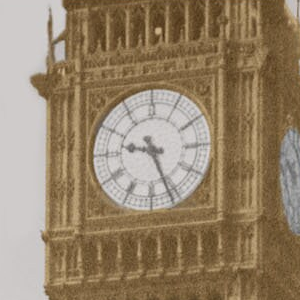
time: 9:26
